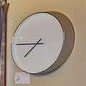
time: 7:46
